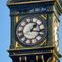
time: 1:16
